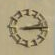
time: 2:13
